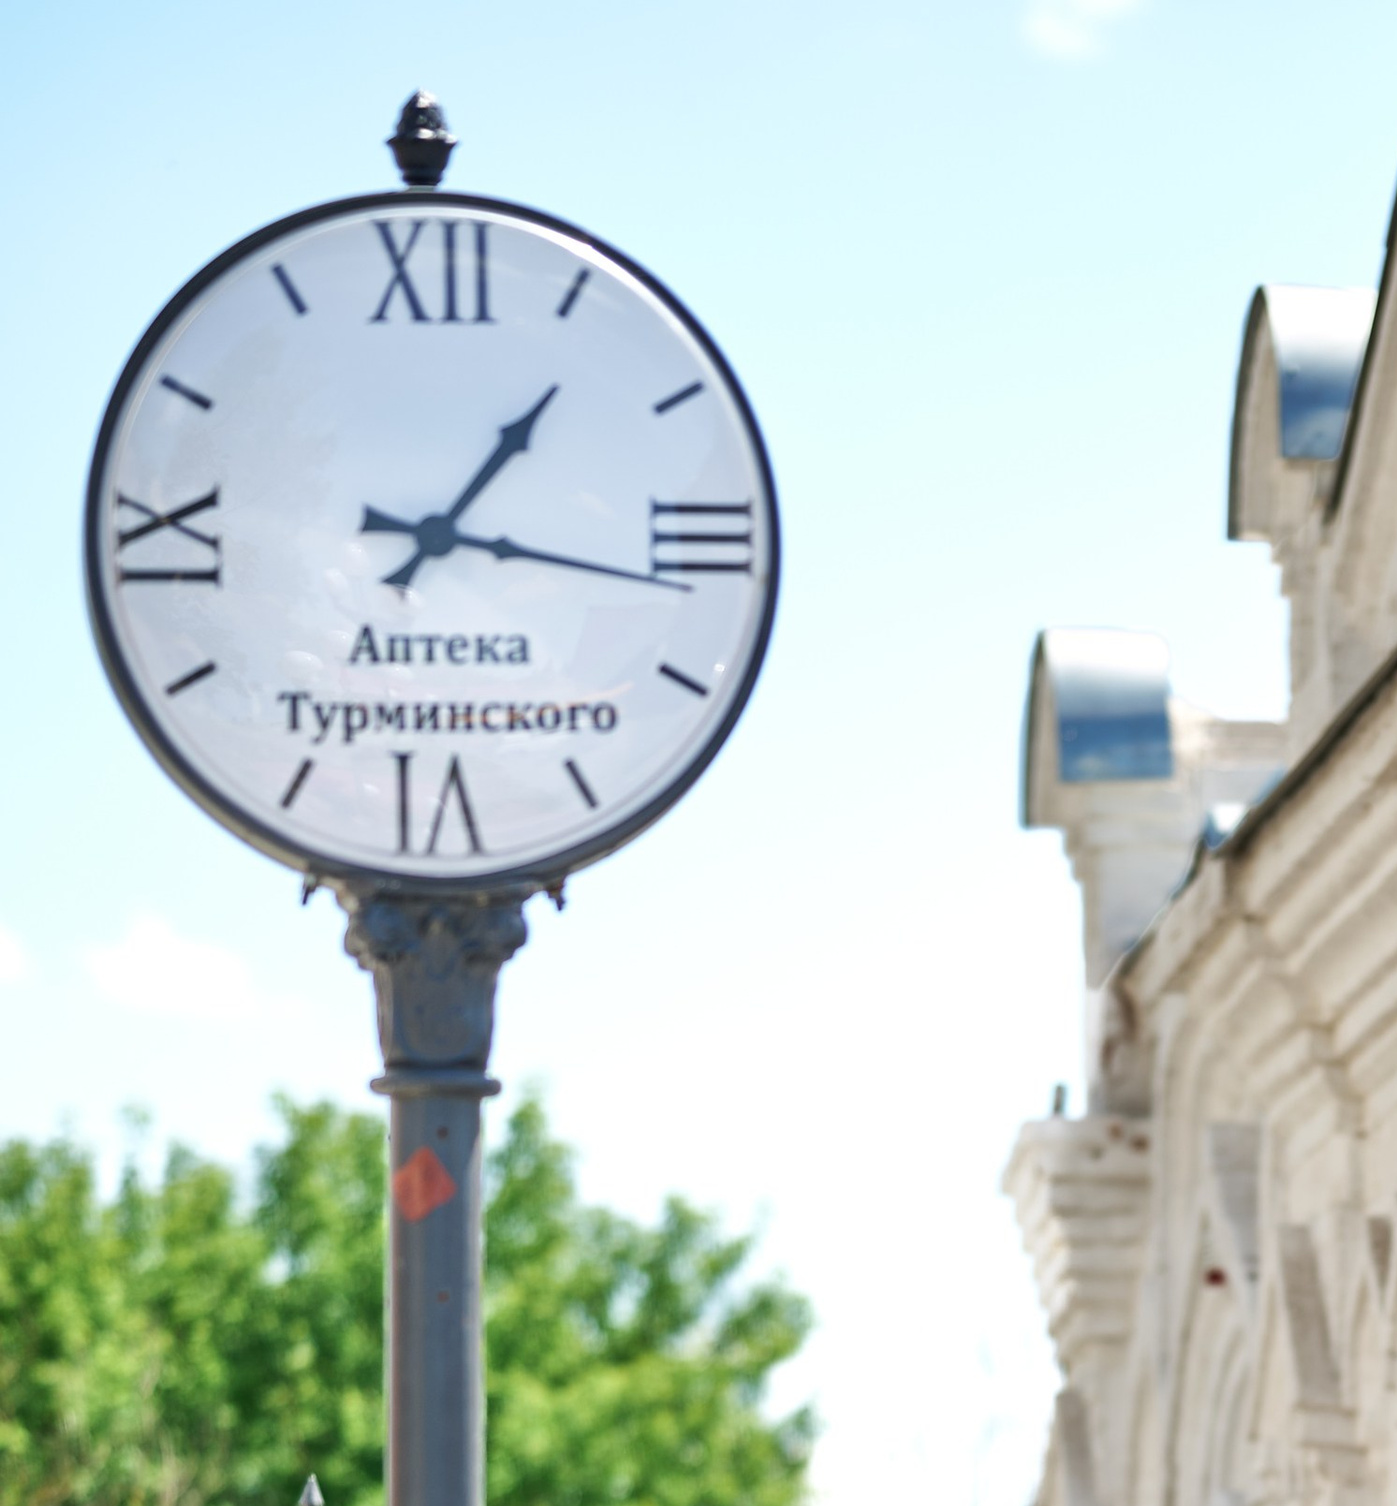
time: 1:16
